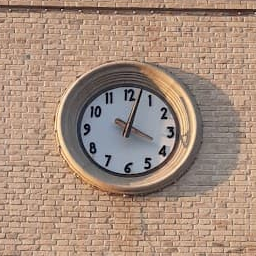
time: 4:02
